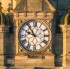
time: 9:53
